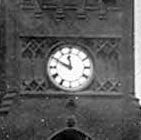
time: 11:49
